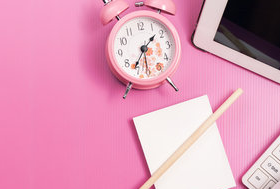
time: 1:36
